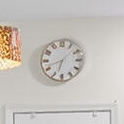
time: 6:42
